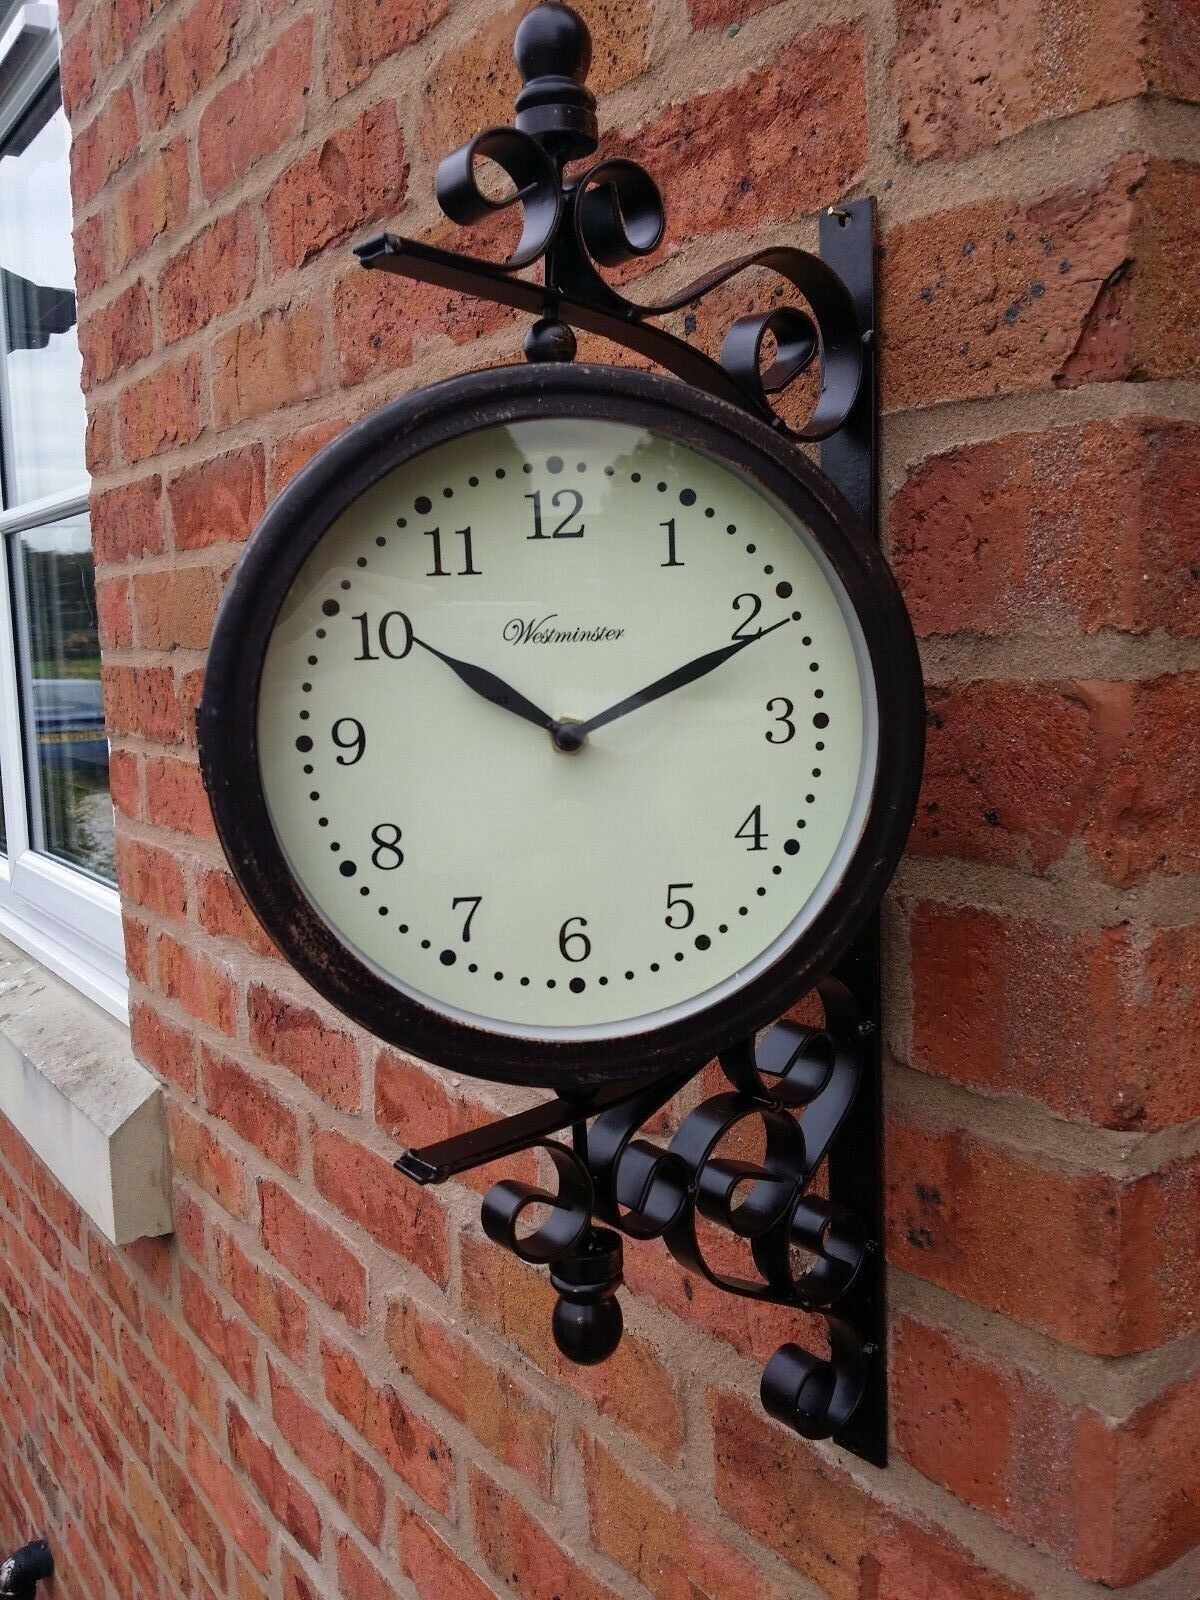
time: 10:11
